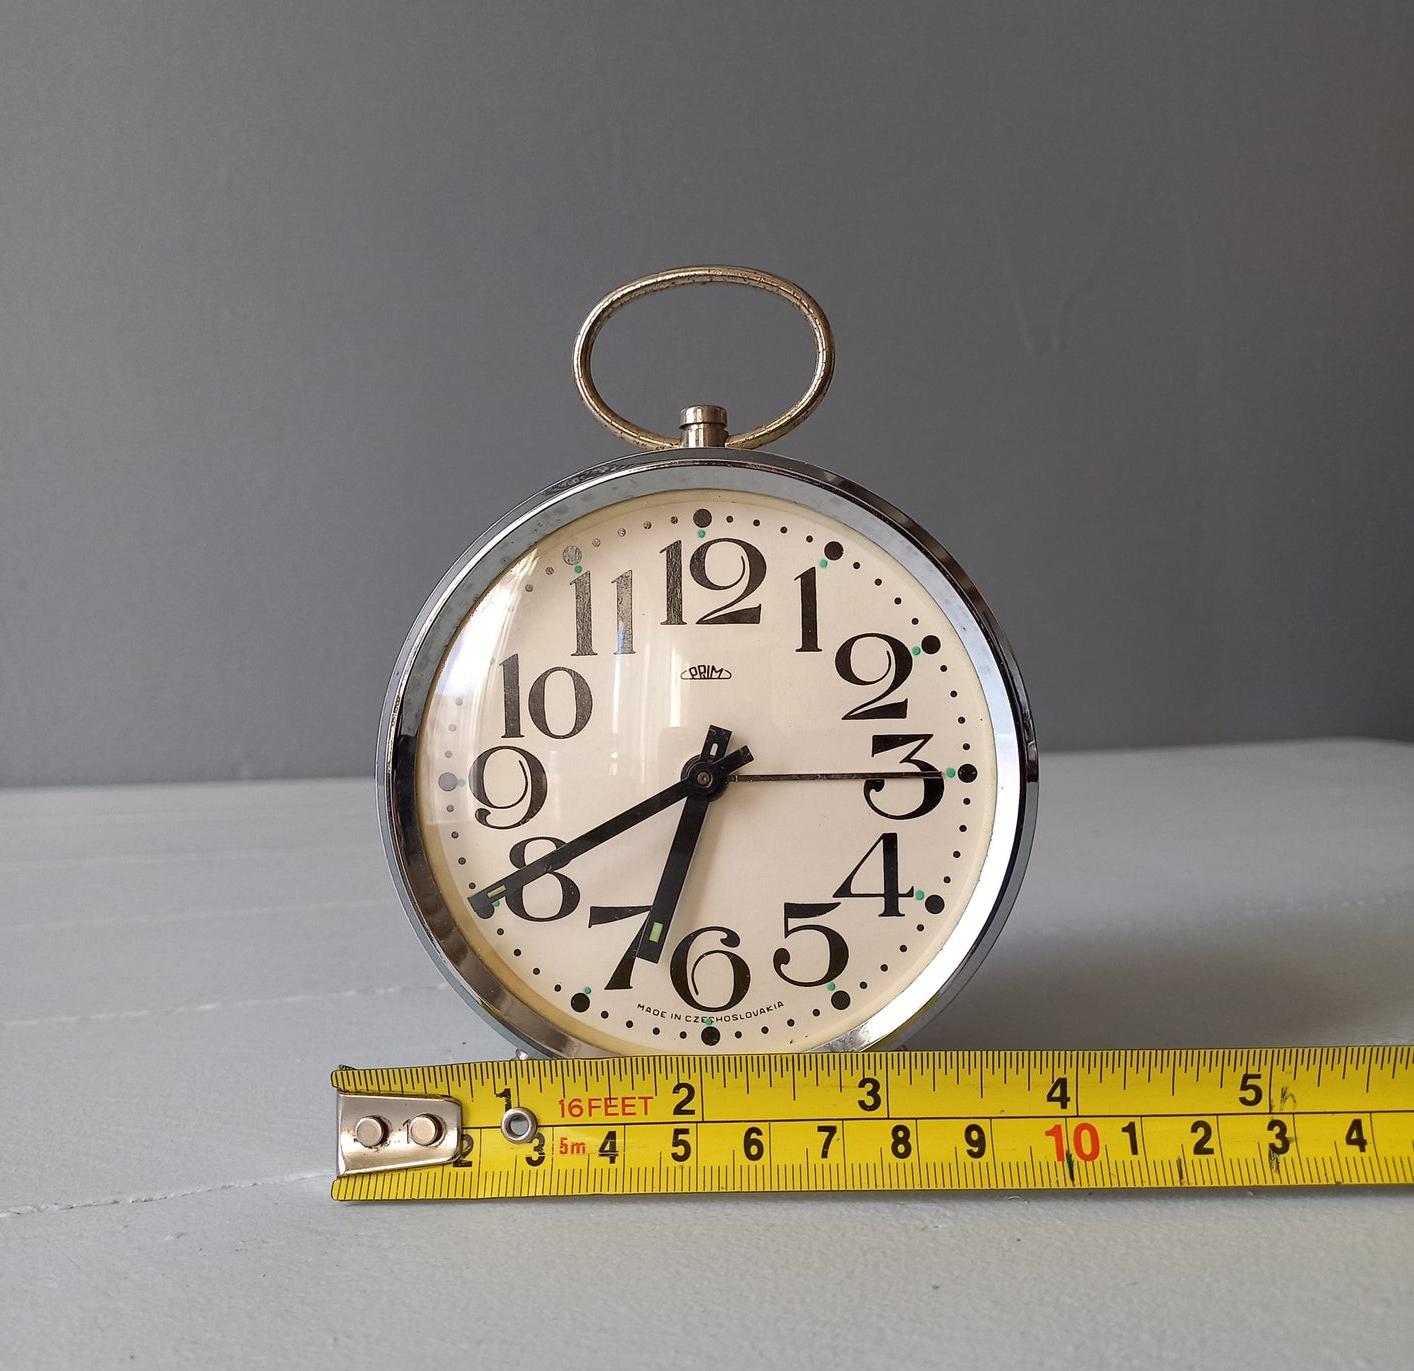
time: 6:40
